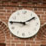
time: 1:45
